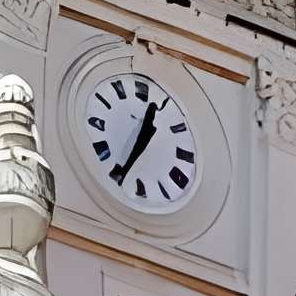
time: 12:34
